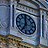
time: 11:35
